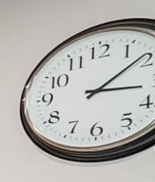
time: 3:08
